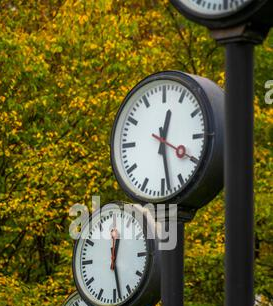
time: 12:28
